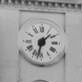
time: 1:32
